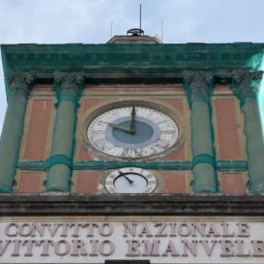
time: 10:00
